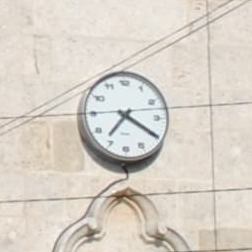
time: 7:19
